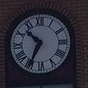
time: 10:34
